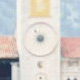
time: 8:54
